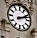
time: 2:11
